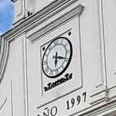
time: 6:18
